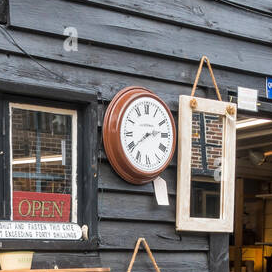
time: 2:39
